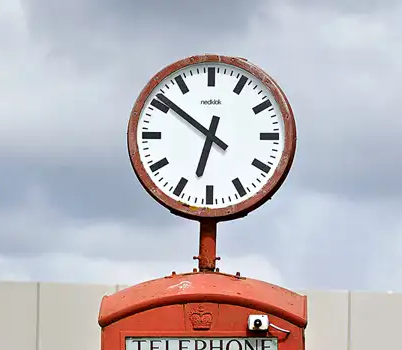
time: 6:51
